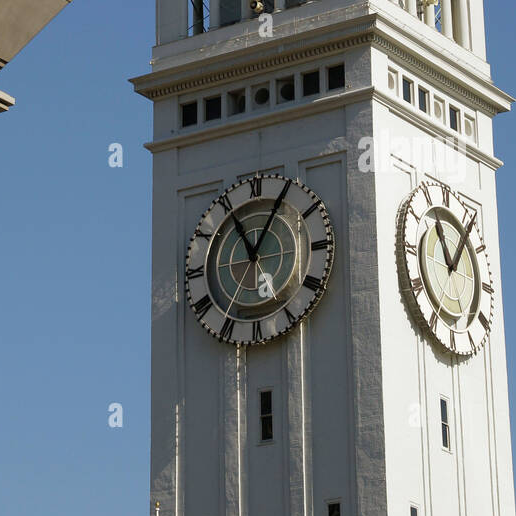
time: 11:04
